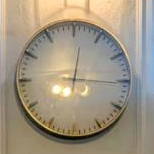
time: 12:15
